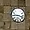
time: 3:45
